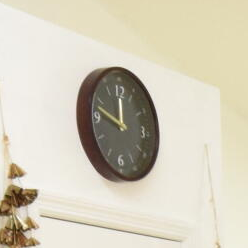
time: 11:47
